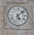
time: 5:08
